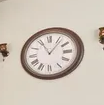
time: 11:06
